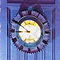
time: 8:50
